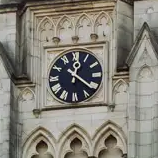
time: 12:21
